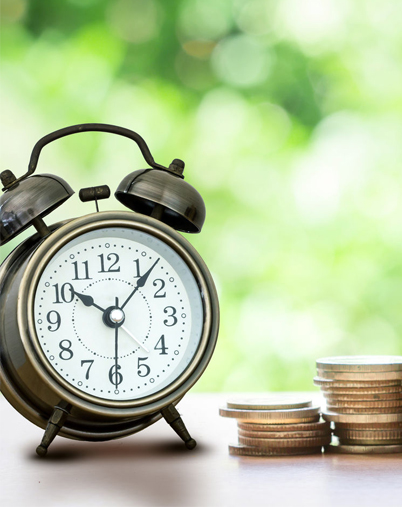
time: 10:07
